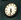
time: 5:31
